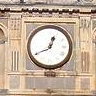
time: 12:40
